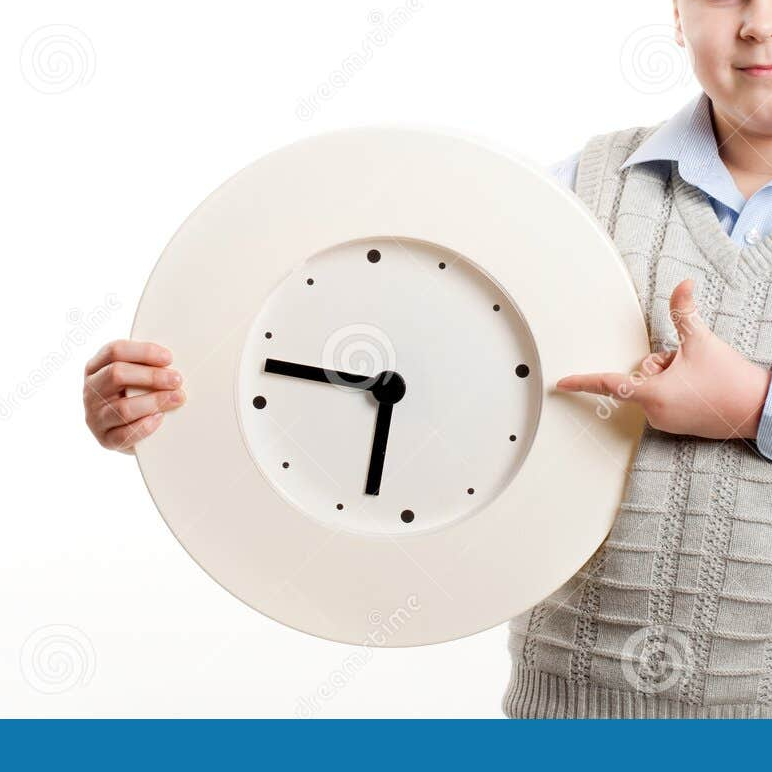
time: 6:47
